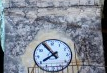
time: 7:54
